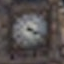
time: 4:18
